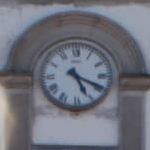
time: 5:19
